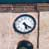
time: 5:20
